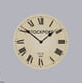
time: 1:51
